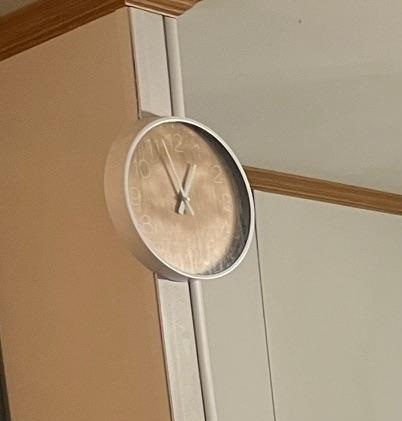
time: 12:56
